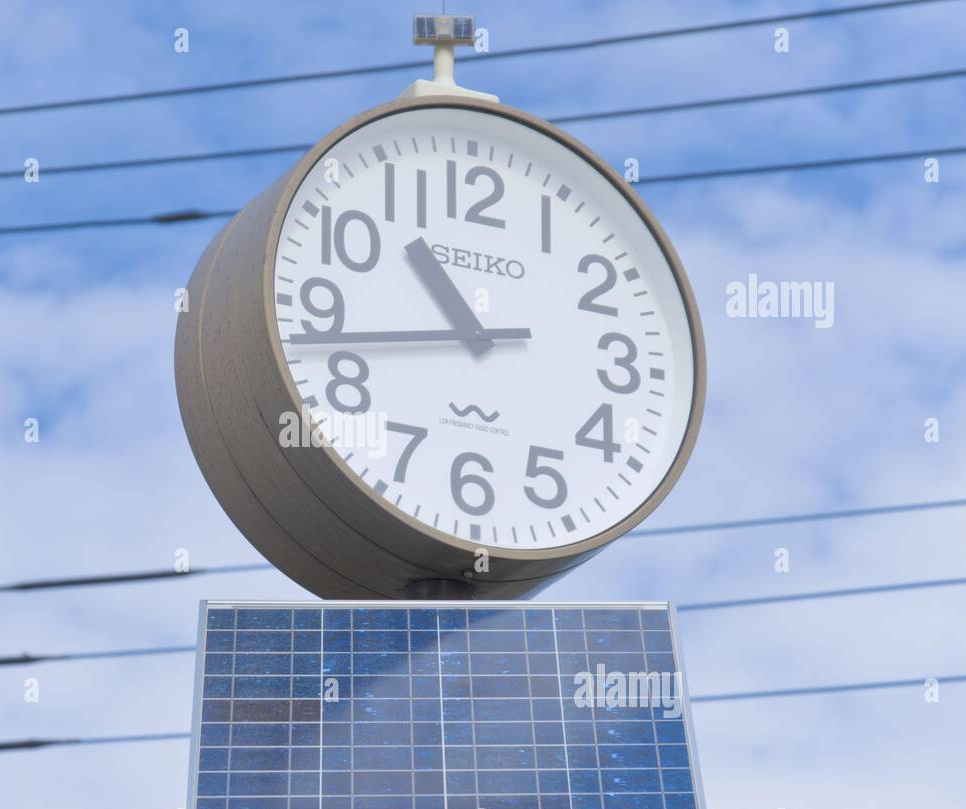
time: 10:43
